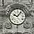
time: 10:07
